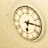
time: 6:14
